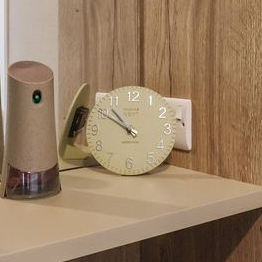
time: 10:50
